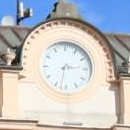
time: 2:32
